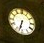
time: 6:32
